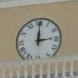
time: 3:00
